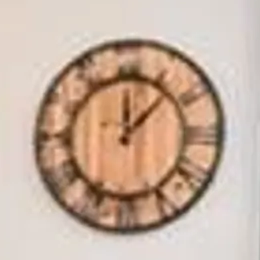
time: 12:07
